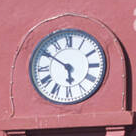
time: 5:50
